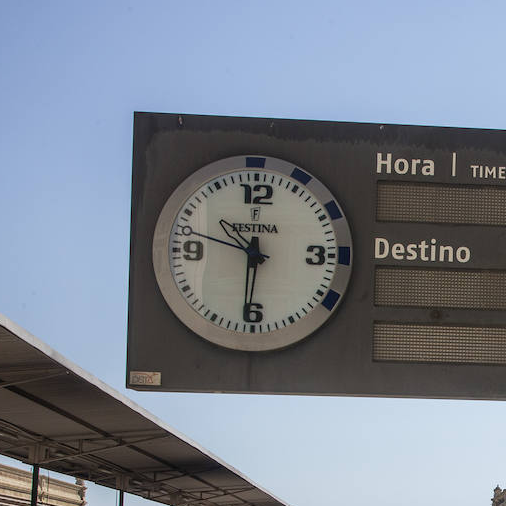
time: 10:31
